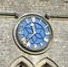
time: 11:37
